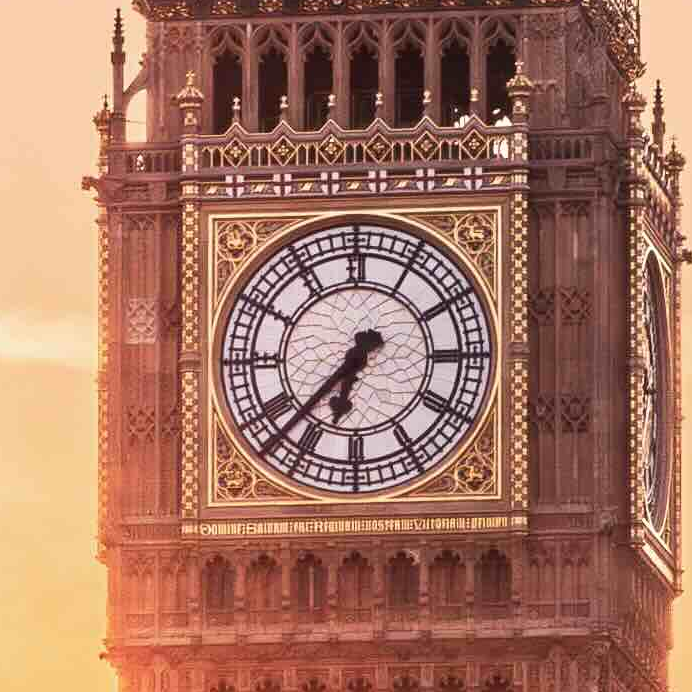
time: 6:37
